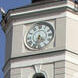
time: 4:32
